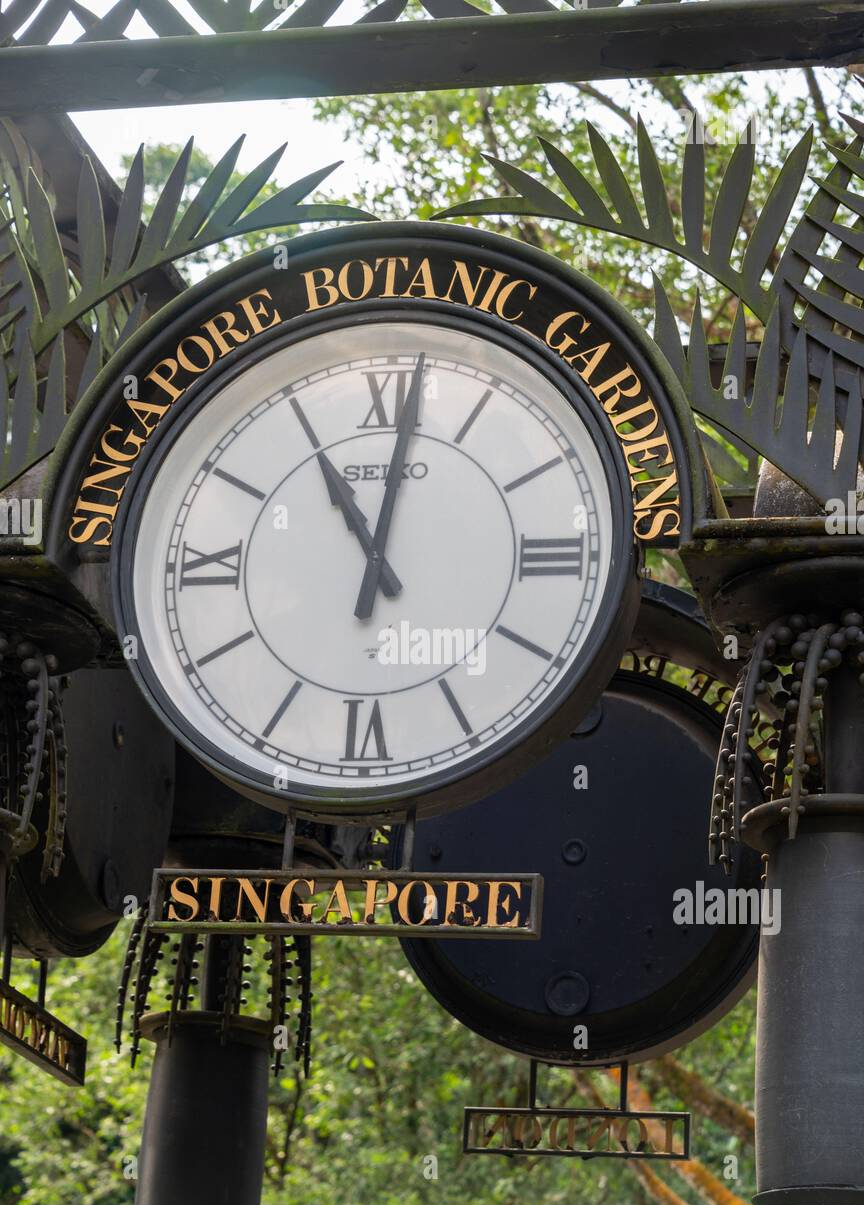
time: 11:01
